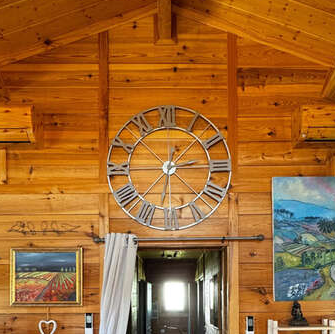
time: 2:32
